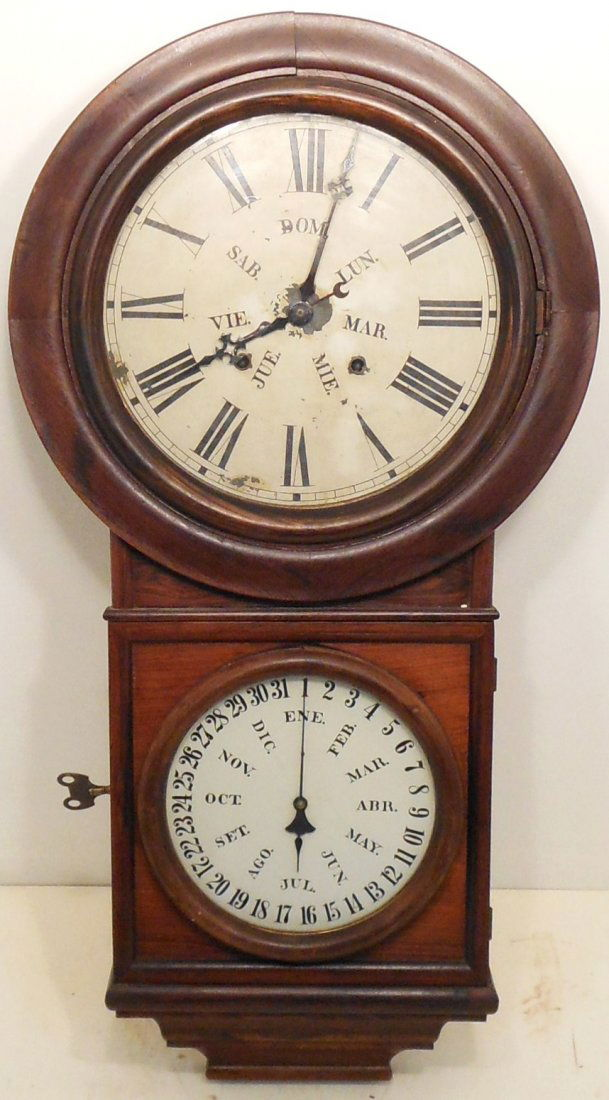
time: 8:02
